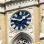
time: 1:46
